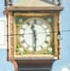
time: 11:29
